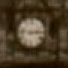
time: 2:46
